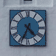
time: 4:34
